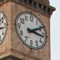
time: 3:09
